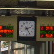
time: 2:24
